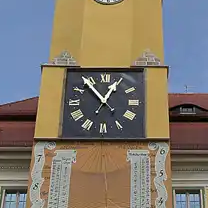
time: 12:53
